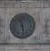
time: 11:28
